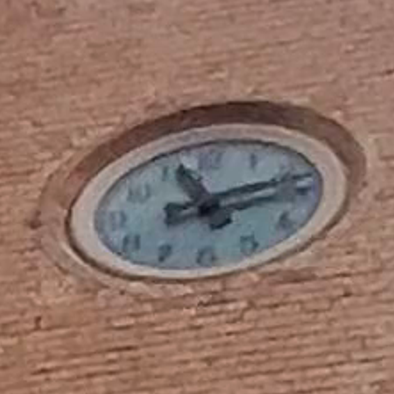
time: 11:12
